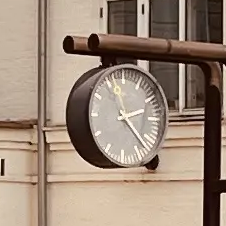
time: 2:22
